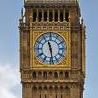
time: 11:28
